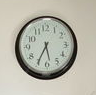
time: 5:35
